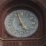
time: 4:57
